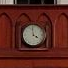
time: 3:58
